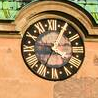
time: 4:04
